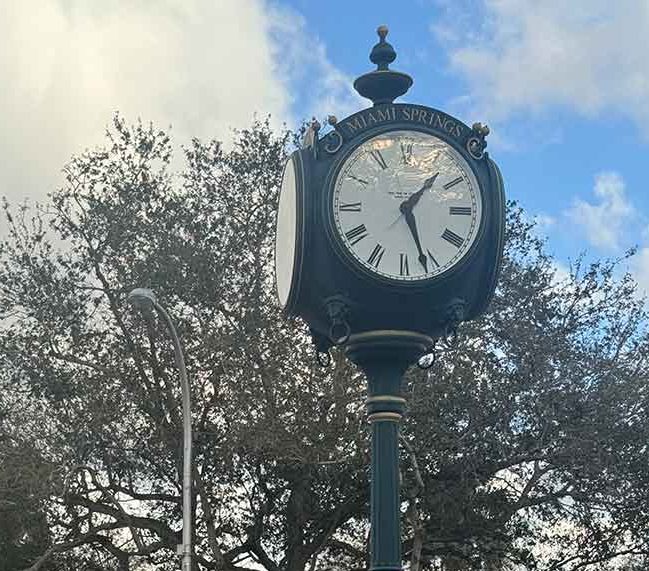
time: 1:26
